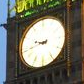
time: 9:43
